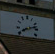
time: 8:12
